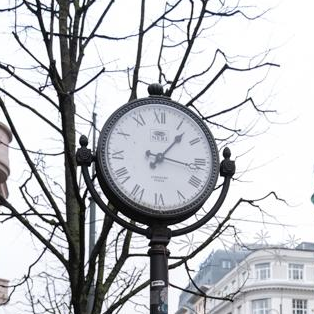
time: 1:16
